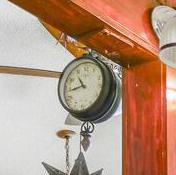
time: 10:43
